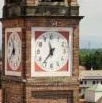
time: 11:36
